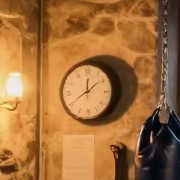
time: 12:08
